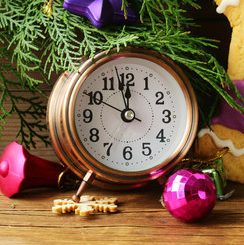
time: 11:57
